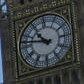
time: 10:47
